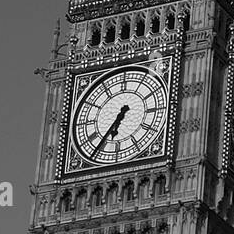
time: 6:36
